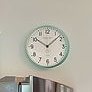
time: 10:07
